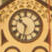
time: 10:32
